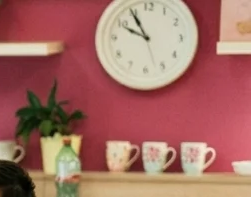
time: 9:54
